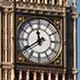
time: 11:39
